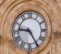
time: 9:24
